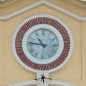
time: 10:46
